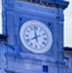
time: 7:58
